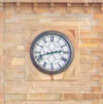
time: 2:42
